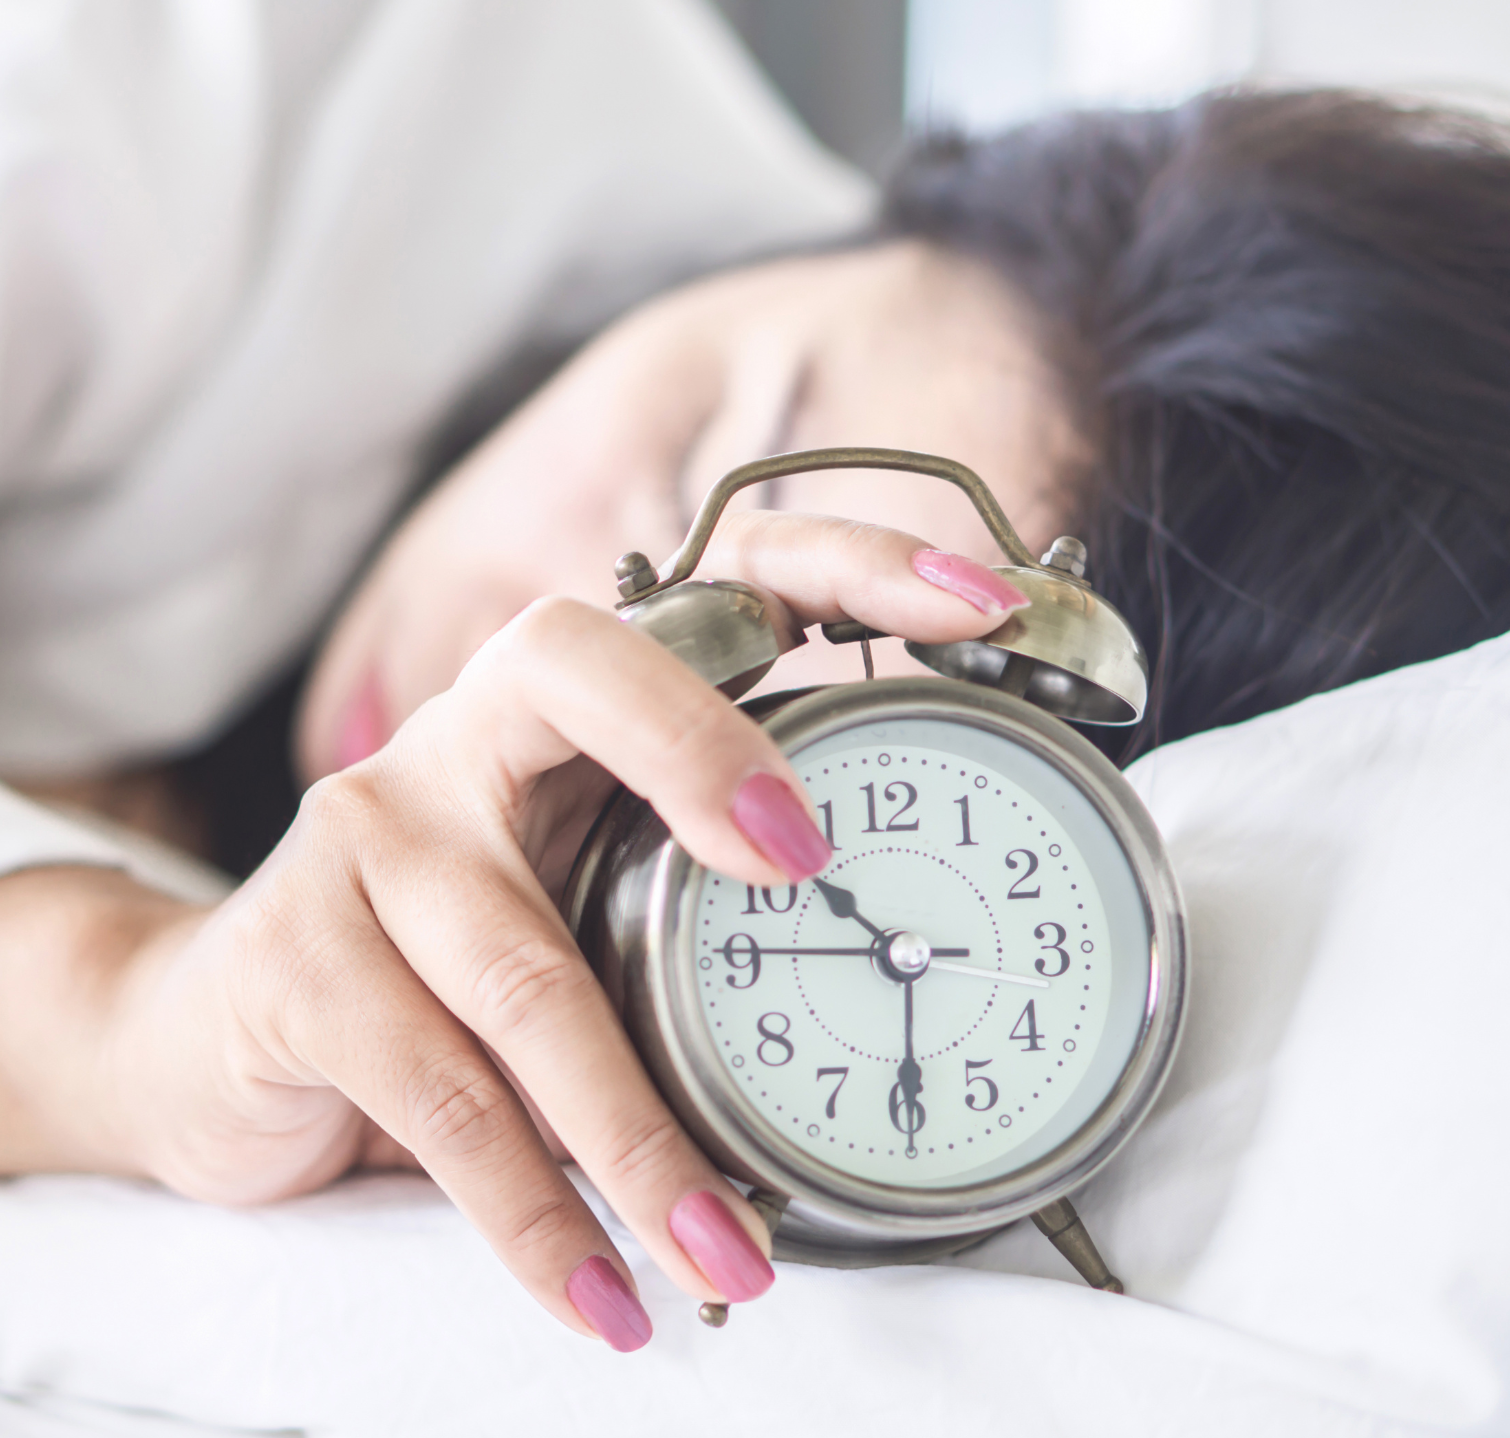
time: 10:29
